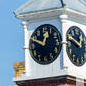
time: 12:49
